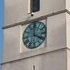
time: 4:00
